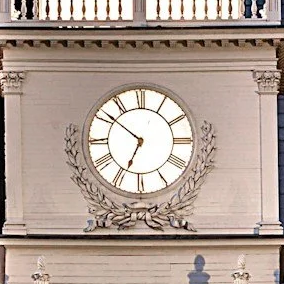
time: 6:51
